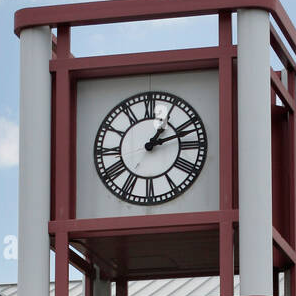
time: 1:11
